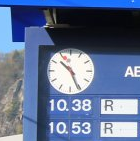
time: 10:26
